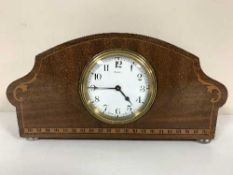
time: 4:44
